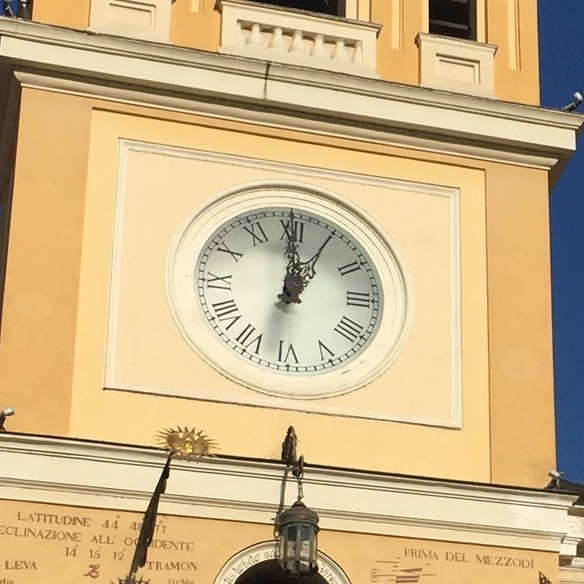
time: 1:00
